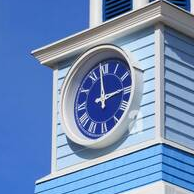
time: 2:58
